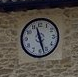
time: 11:27
